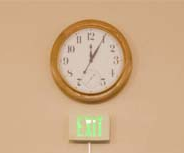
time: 12:04
